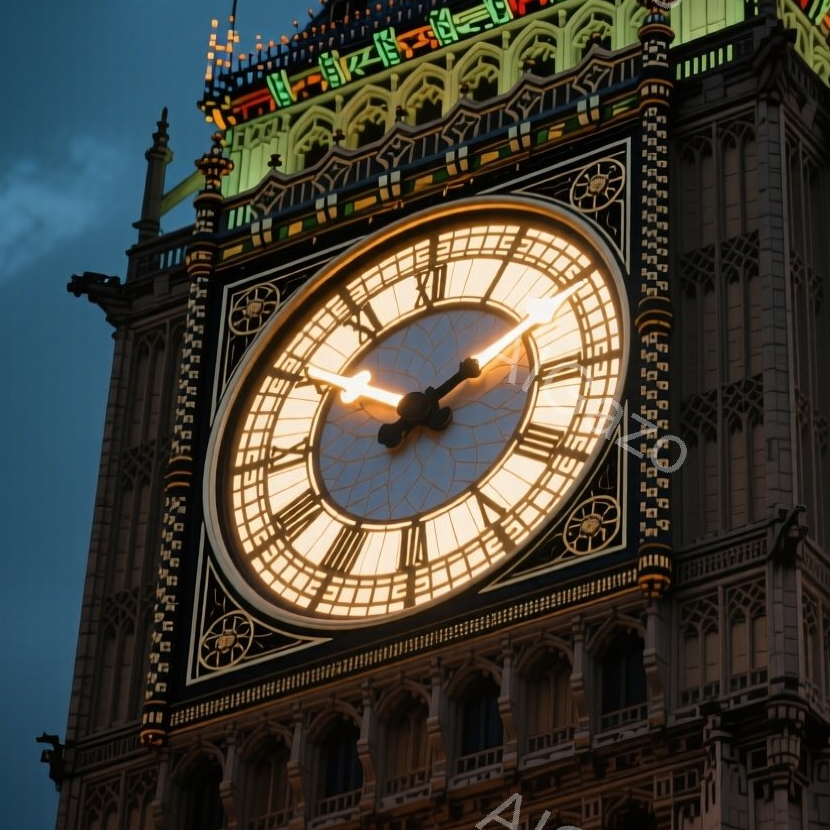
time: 1:50
